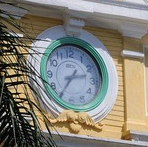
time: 2:35
